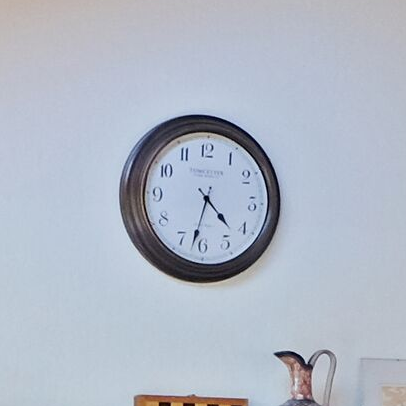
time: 4:32
